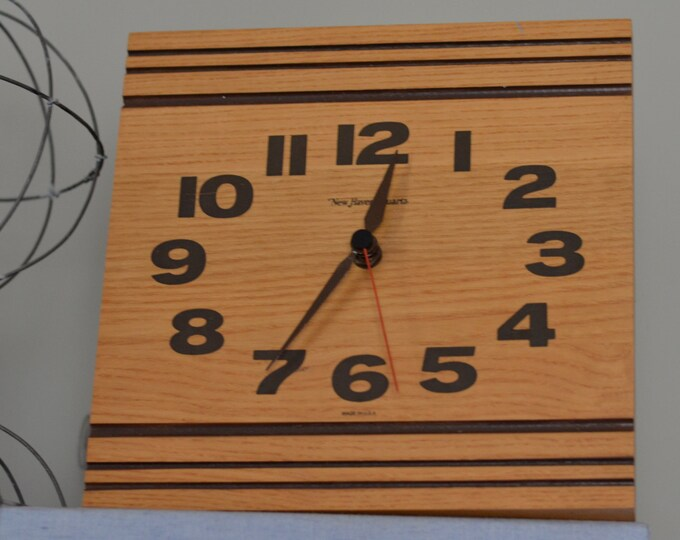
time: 12:34
